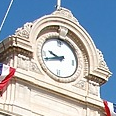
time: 9:42
